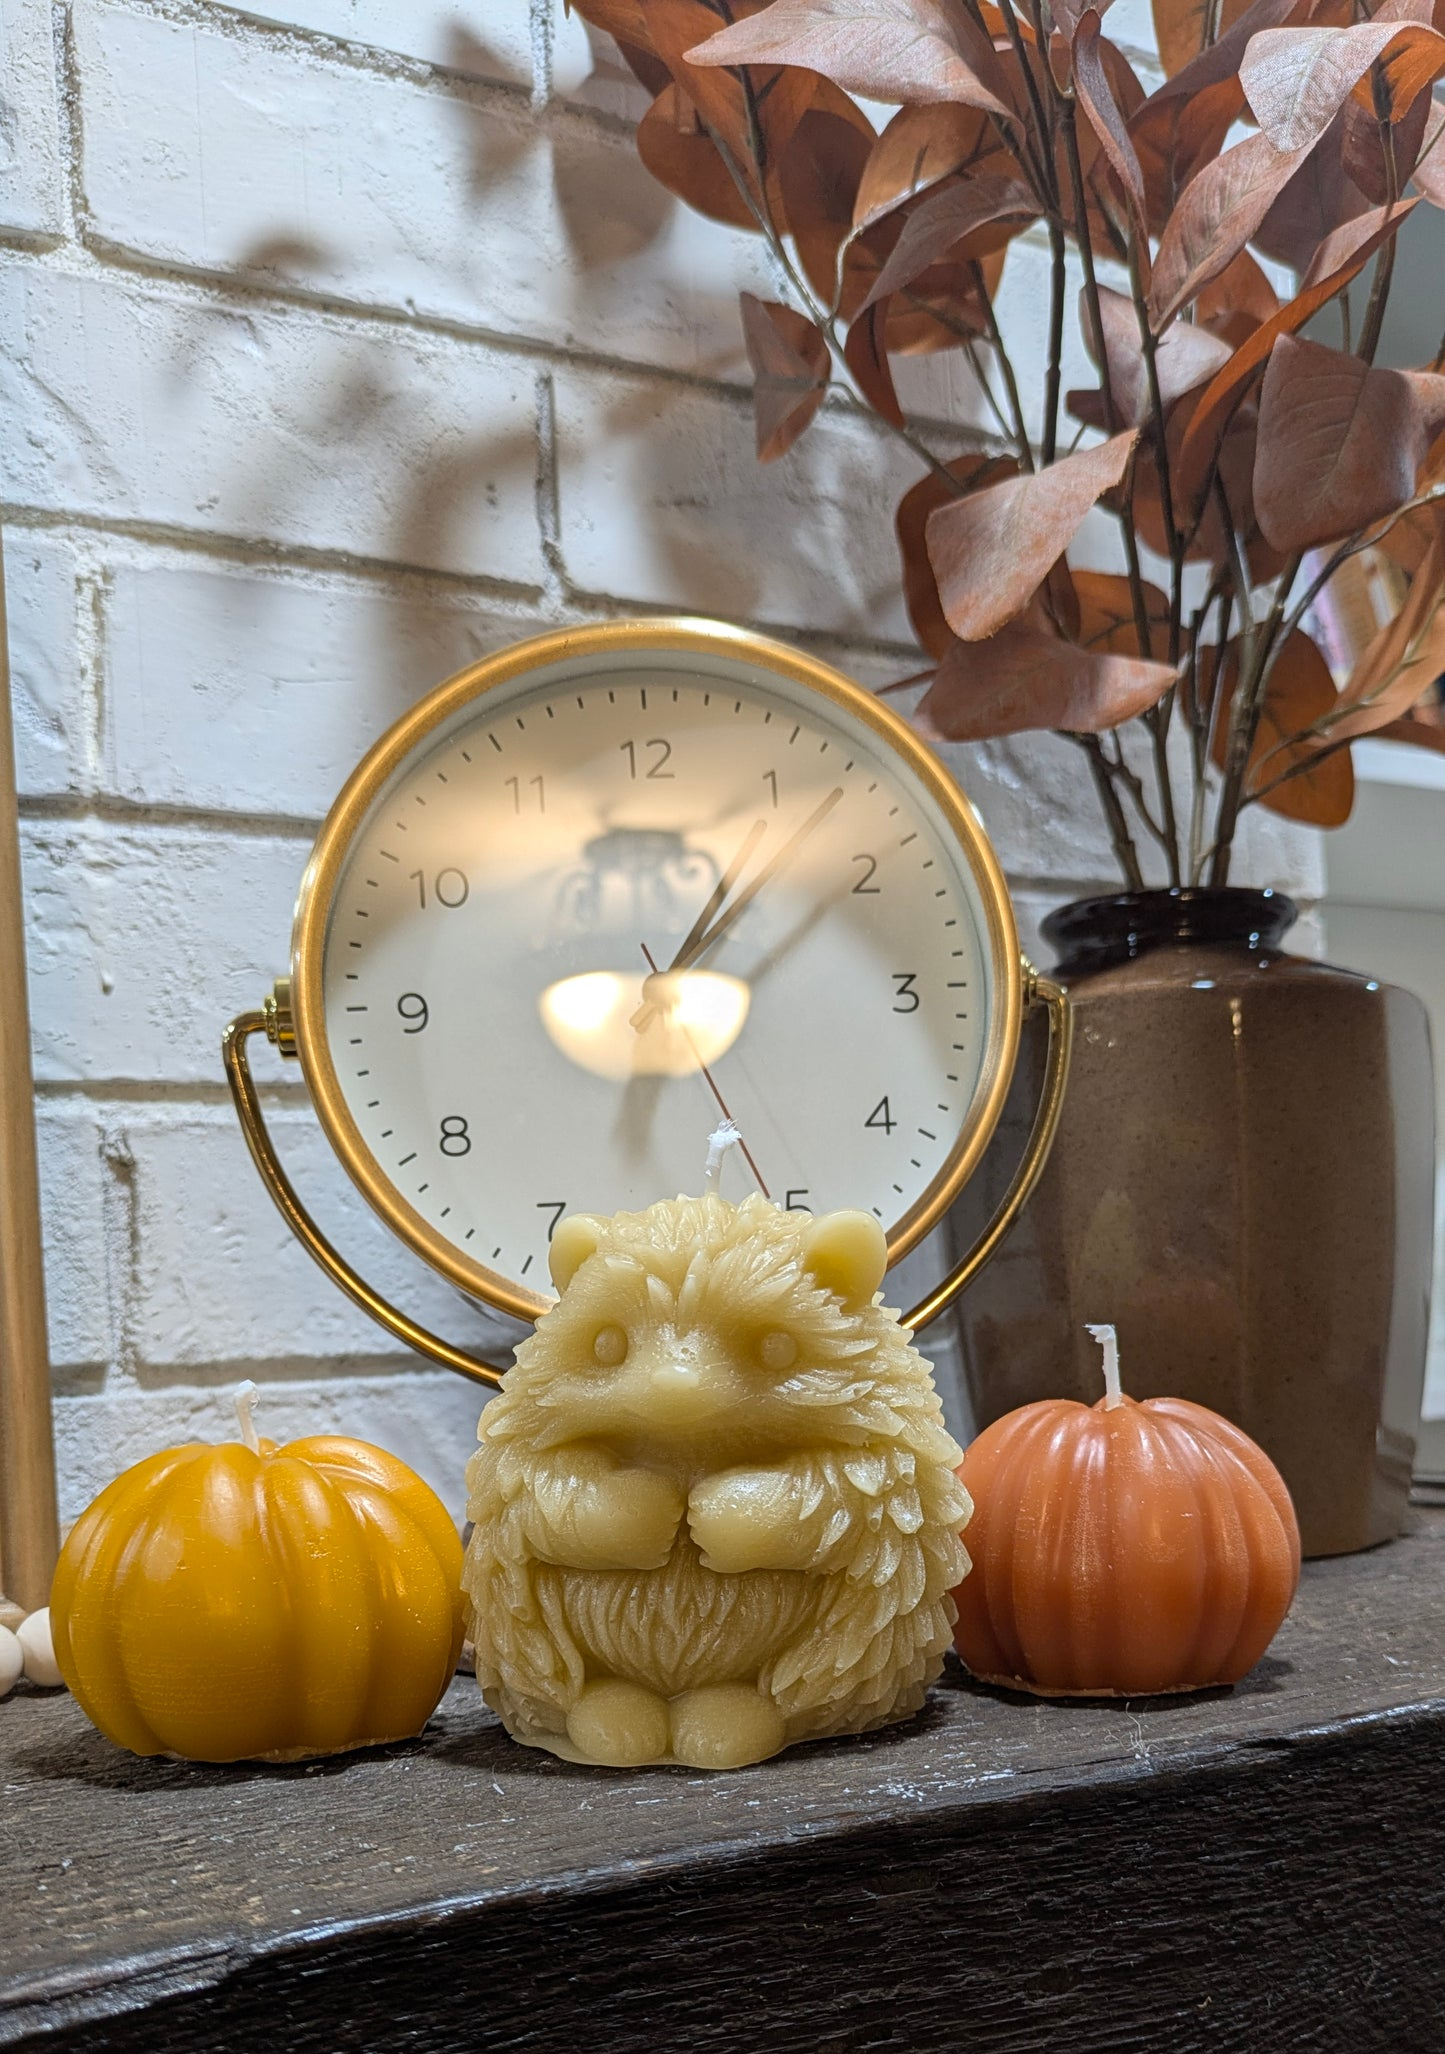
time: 1:07
